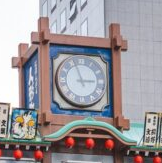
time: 2:56
